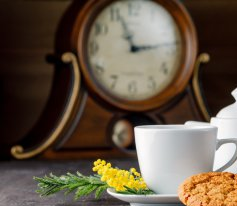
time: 2:56
